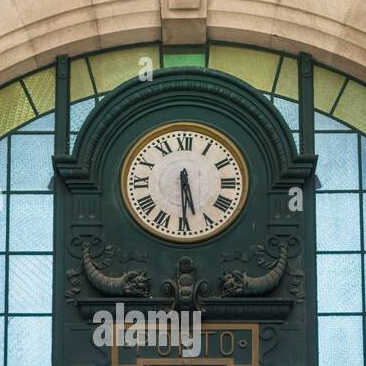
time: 5:29
